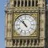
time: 10:52
